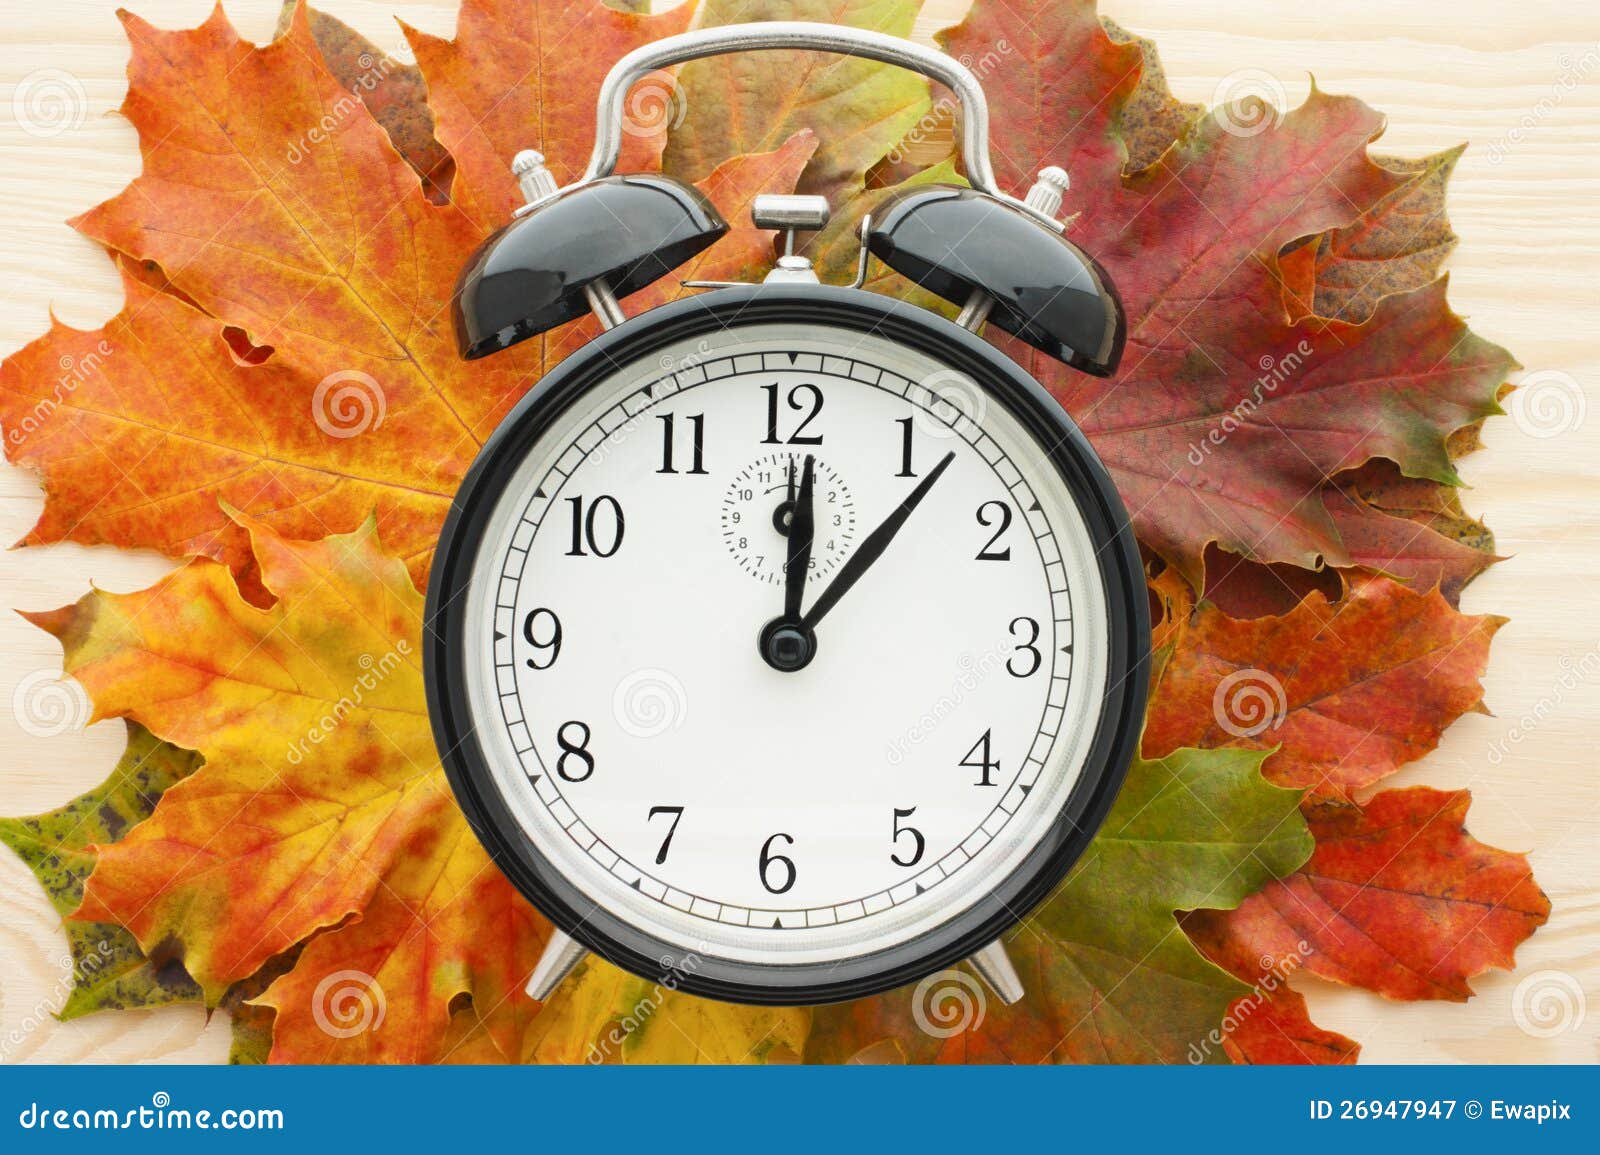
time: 12:06
